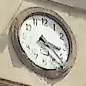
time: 3:22
